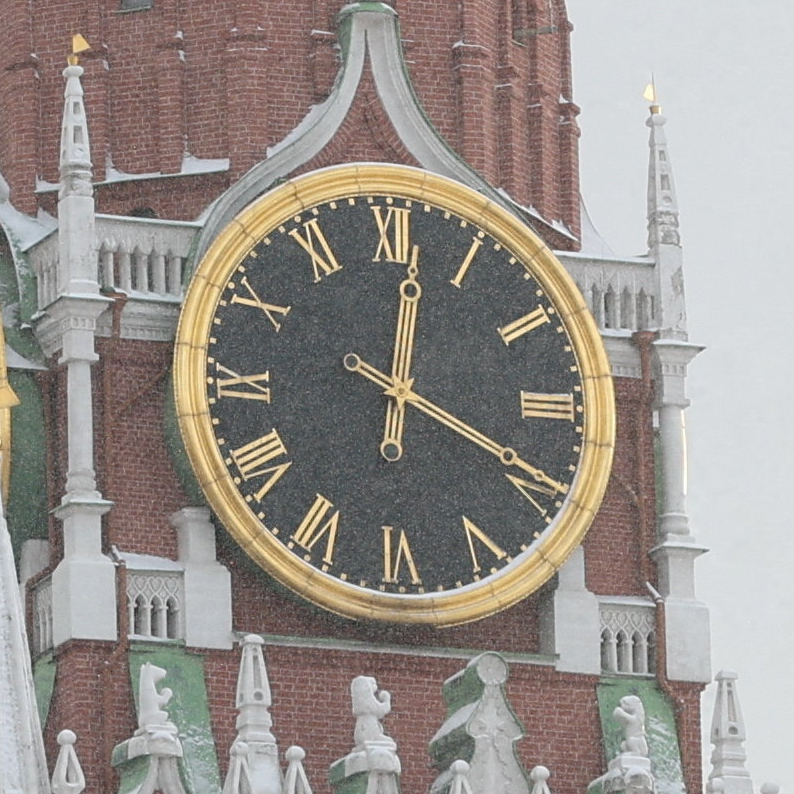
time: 12:19
